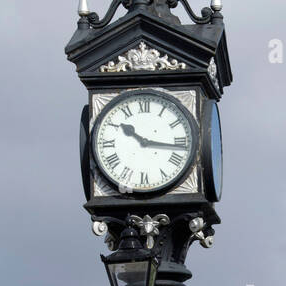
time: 10:16
